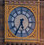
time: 5:34
